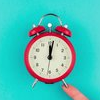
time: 12:01
